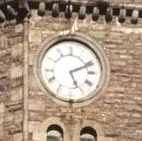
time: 5:11
